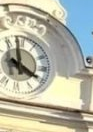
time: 3:58
